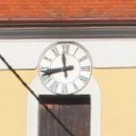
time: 11:42
